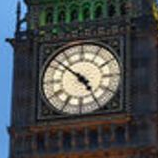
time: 4:51
